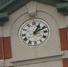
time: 1:11
